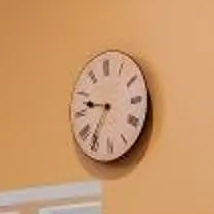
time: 9:36
